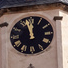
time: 11:57
